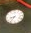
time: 8:36
